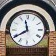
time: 11:39
